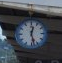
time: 12:27
